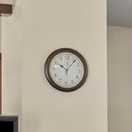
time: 10:06
